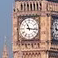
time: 11:16
